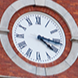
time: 4:16
